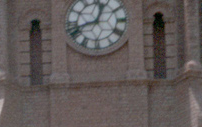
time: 12:42
